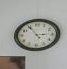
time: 2:54
